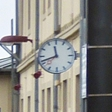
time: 11:41
